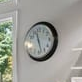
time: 11:27
